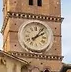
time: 2:06
